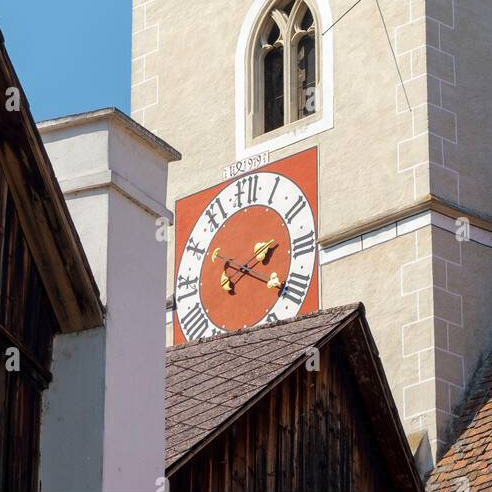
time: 2:19
